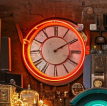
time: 2:10
